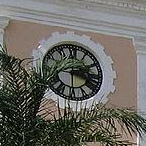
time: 2:29
